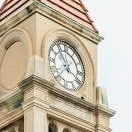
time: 3:53
